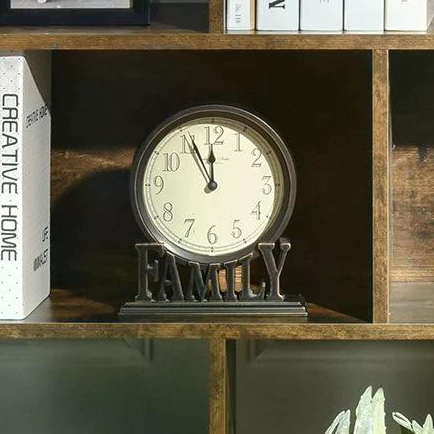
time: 11:55
